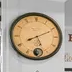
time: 8:11
